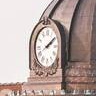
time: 2:09
